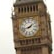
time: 1:42
